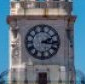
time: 2:16
